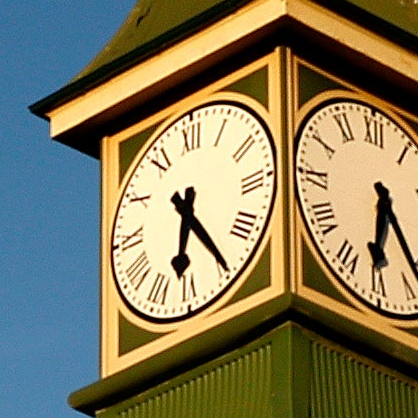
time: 6:24
